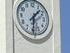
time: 1:30
